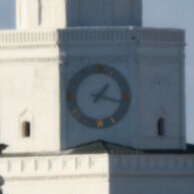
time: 1:17
